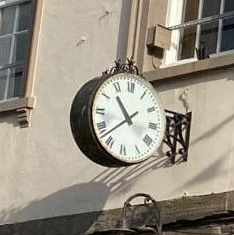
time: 10:37
